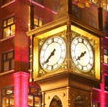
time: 7:38
